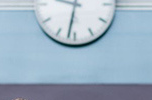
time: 9:31
